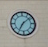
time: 7:08
